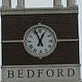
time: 12:56
